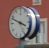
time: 3:48
